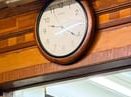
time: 9:21
